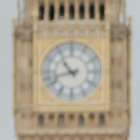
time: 10:42
